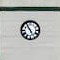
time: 4:54
